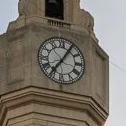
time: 7:05
